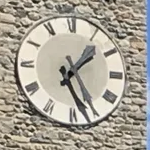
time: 1:26
